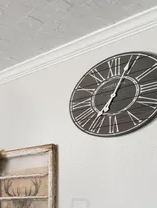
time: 7:04
